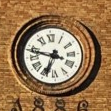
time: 6:47
